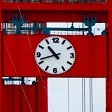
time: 10:42
